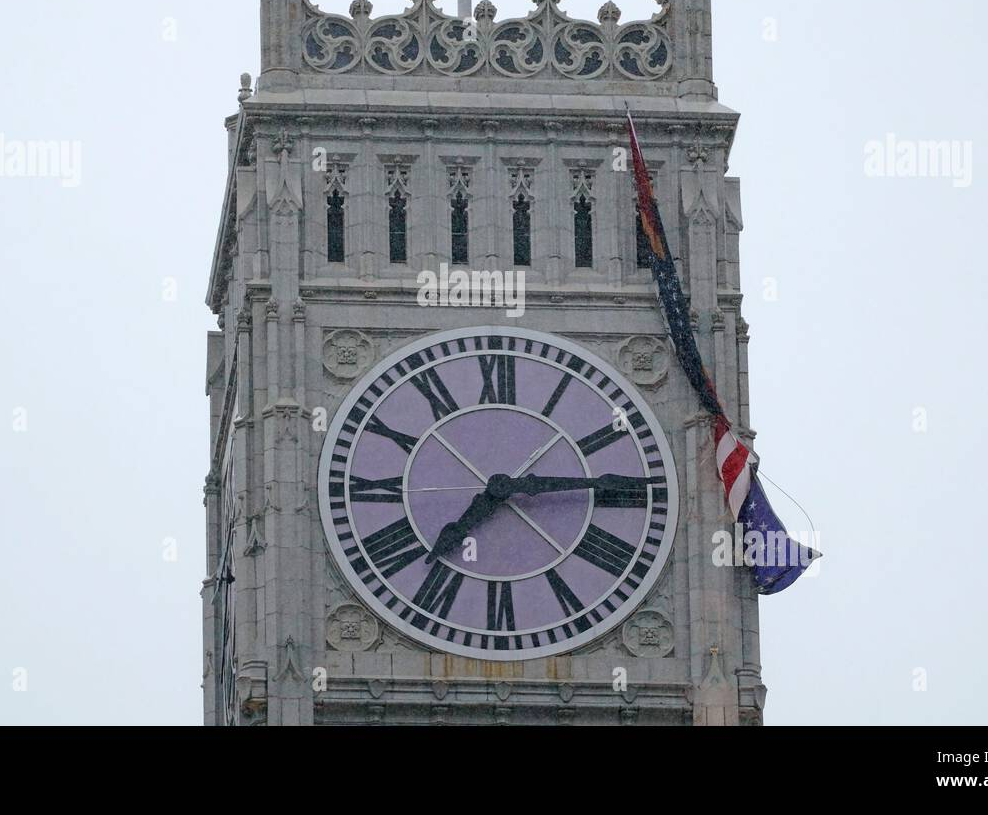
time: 7:14
